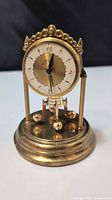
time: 12:28
